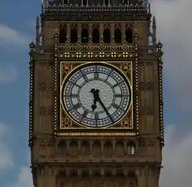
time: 6:24
